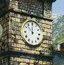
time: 11:52
